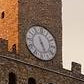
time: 5:26
